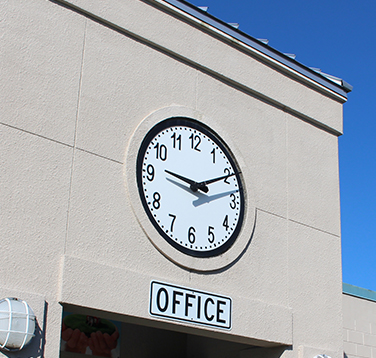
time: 9:10
